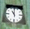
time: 11:00
